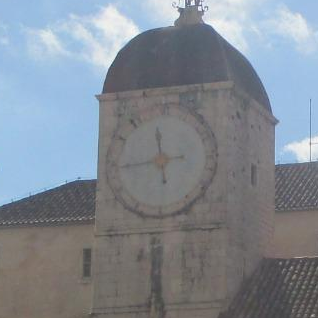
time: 11:44
